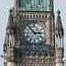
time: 2:53
